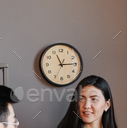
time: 11:14
